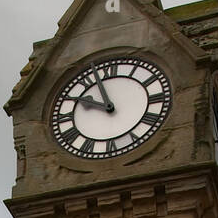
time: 9:56
